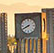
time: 7:40
